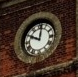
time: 10:01
